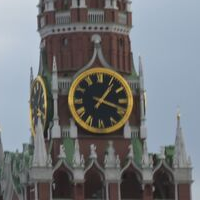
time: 1:18
